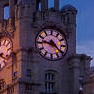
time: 9:22
